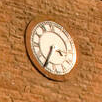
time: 3:35
